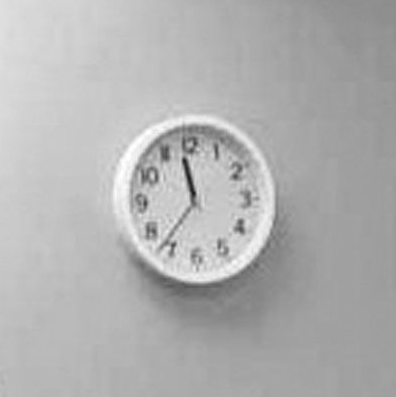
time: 11:36
